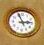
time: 2:56
